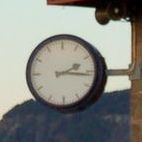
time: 2:16
